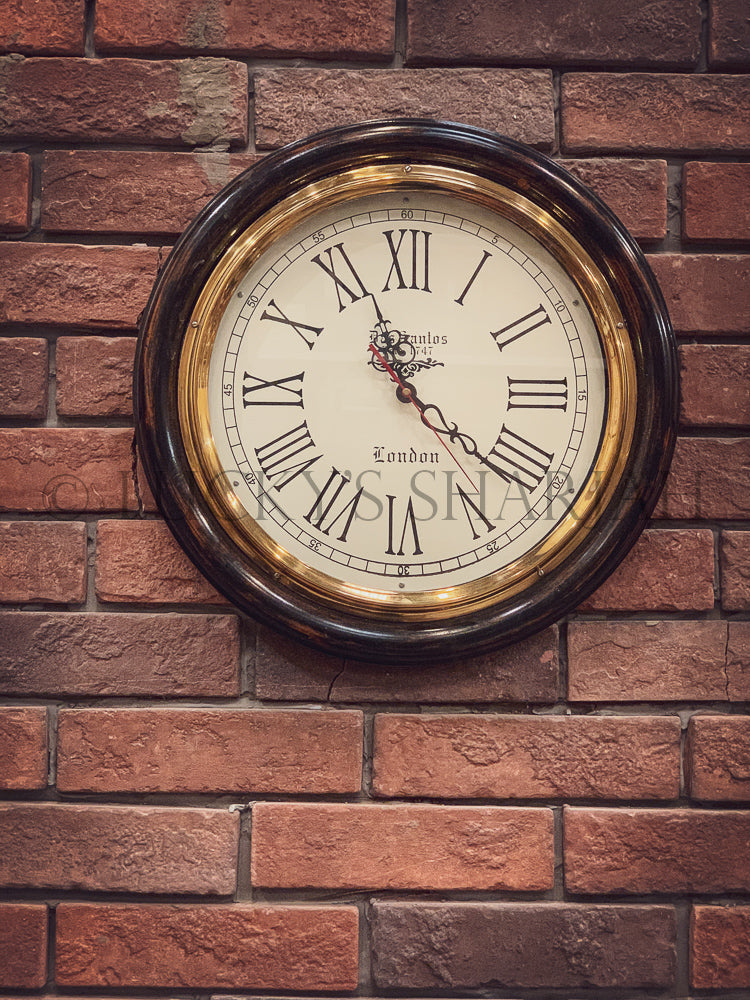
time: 11:21
